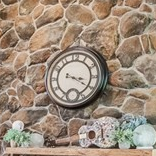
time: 3:20
